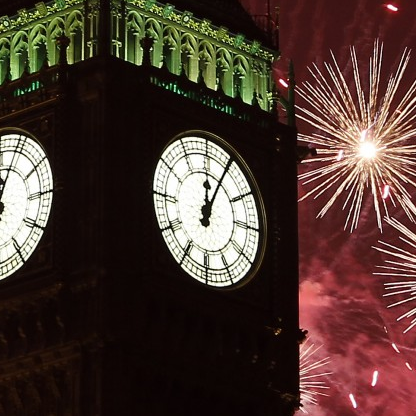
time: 12:04
